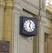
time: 12:26
